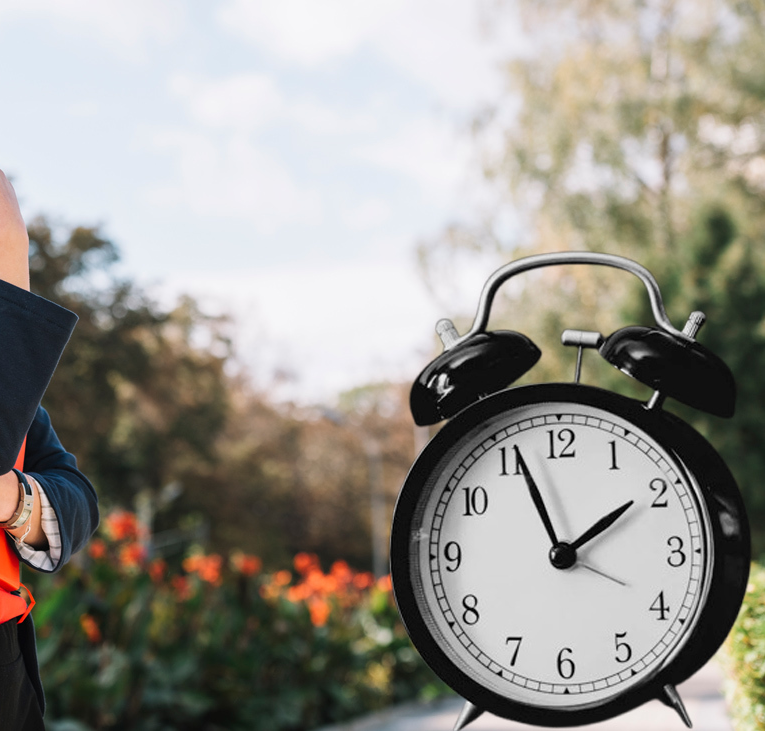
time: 1:56
